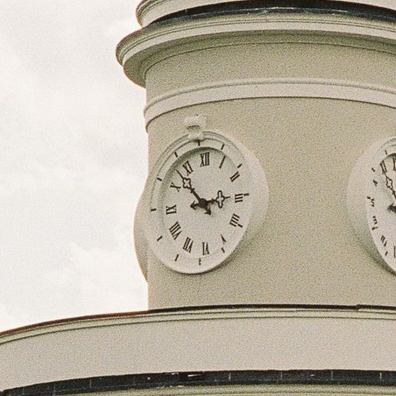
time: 2:53
